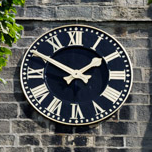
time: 1:50
